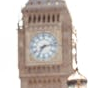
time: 7:12
